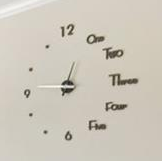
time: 12:46
